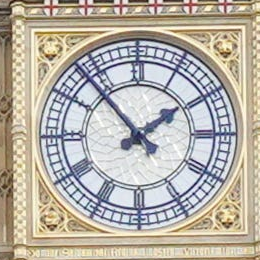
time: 1:53
